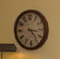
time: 3:23
